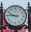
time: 9:45
